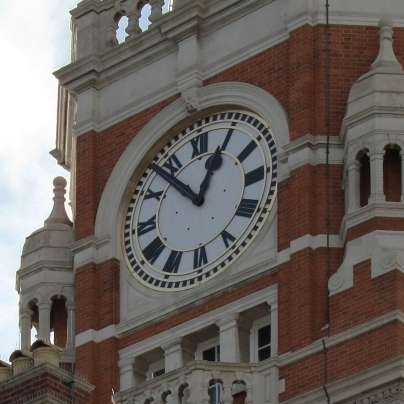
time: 12:53
